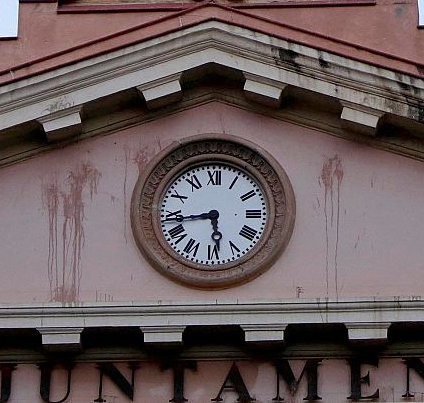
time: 5:43
